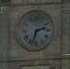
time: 2:33
